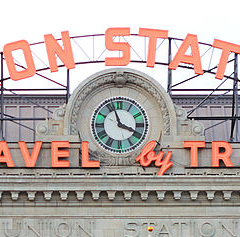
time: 3:57
